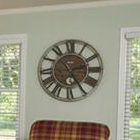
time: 2:24
